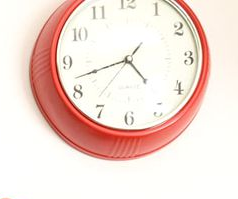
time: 4:42
